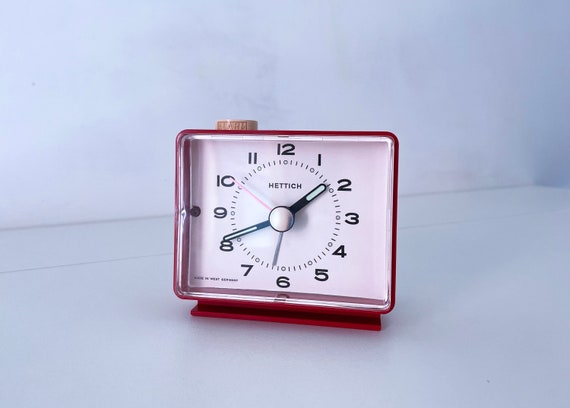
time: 1:40
